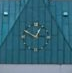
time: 12:49
